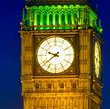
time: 9:38
